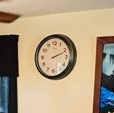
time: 2:11
